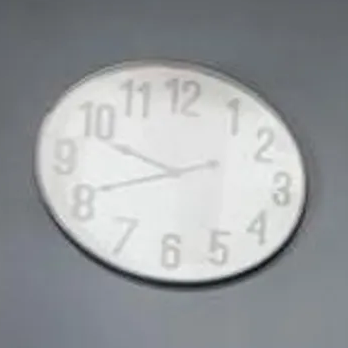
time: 9:41
